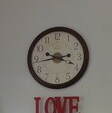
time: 3:43
